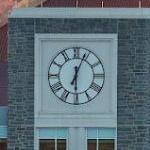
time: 6:03
